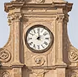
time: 2:00
